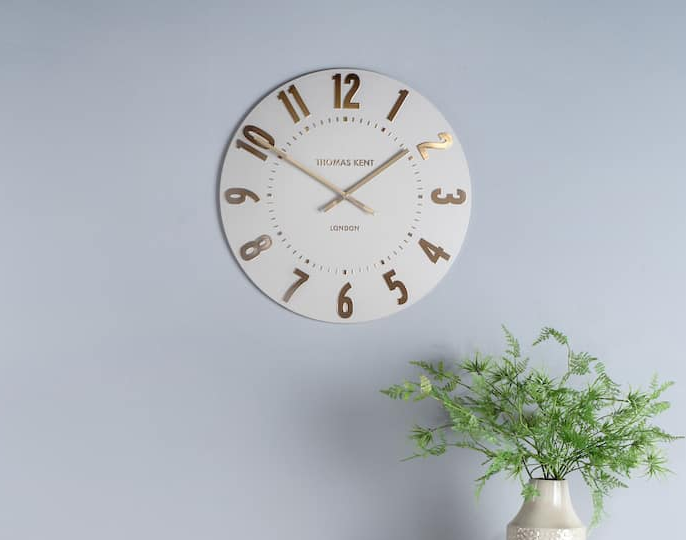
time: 1:50
